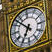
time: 6:52
